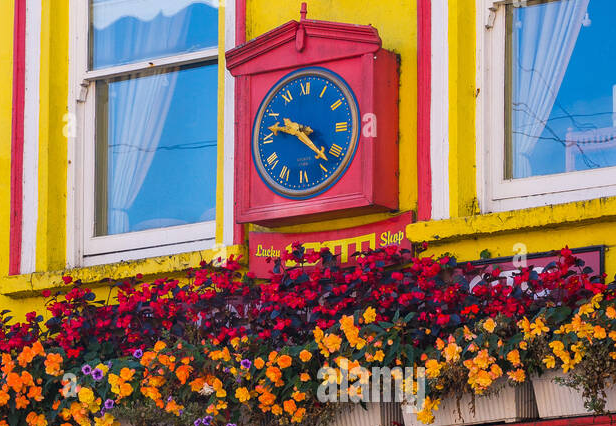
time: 9:22
